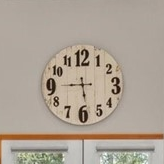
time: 5:45
